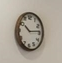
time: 10:13
